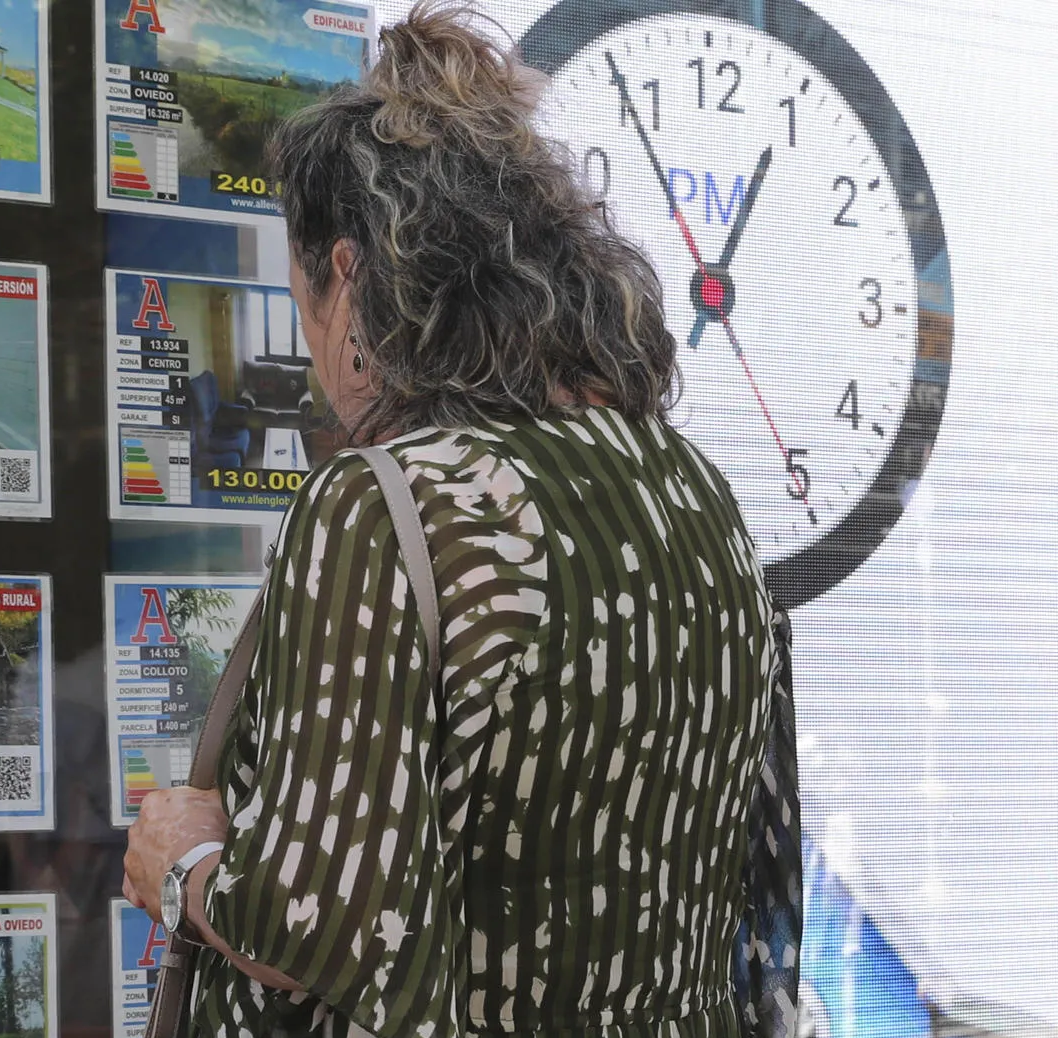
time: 12:54
